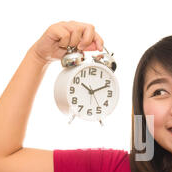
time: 10:11
